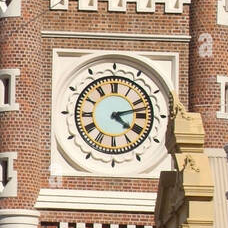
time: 4:12
